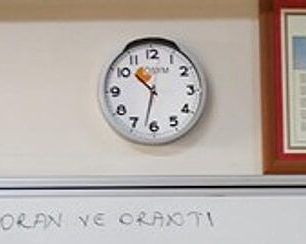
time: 10:32
